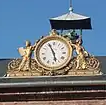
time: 5:56
